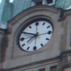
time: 7:49
